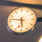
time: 5:46
